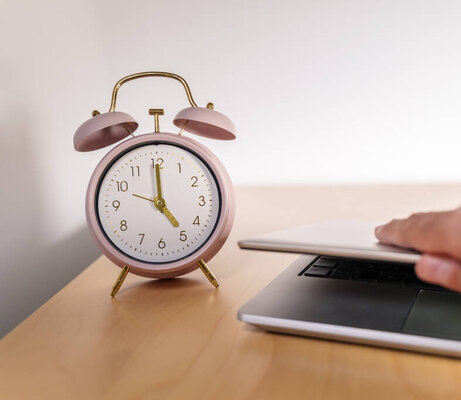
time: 5:00
